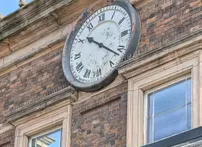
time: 10:21
